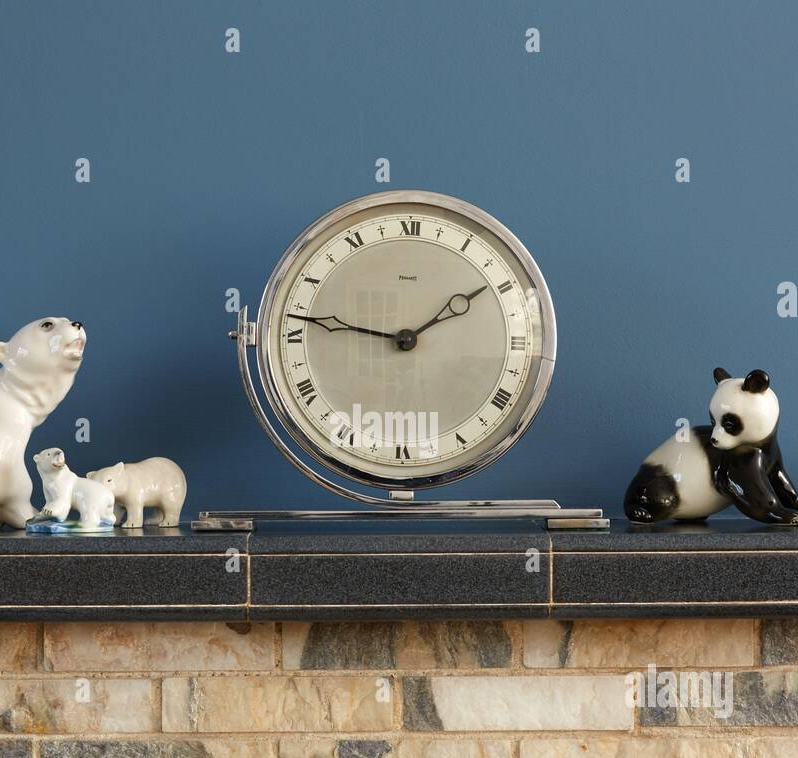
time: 1:46
